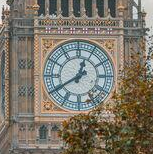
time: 12:40
